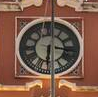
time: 6:15
